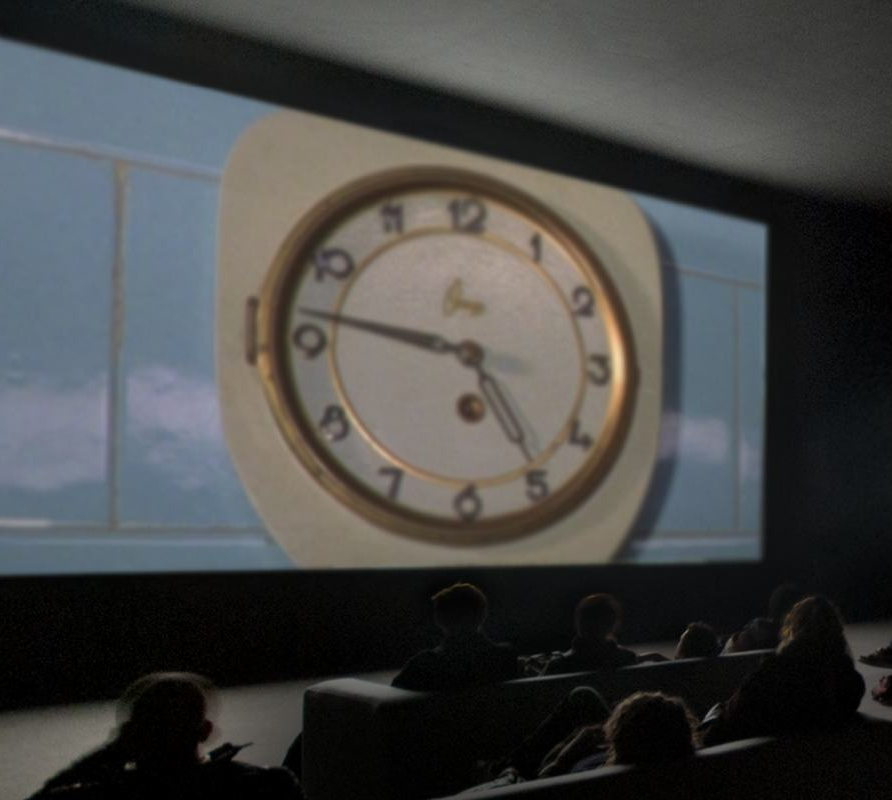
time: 4:46
